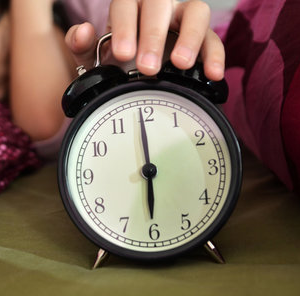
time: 5:59
